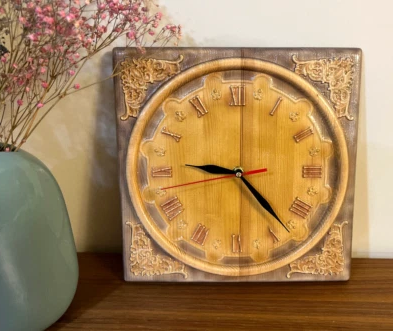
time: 9:23
